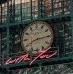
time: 8:14
